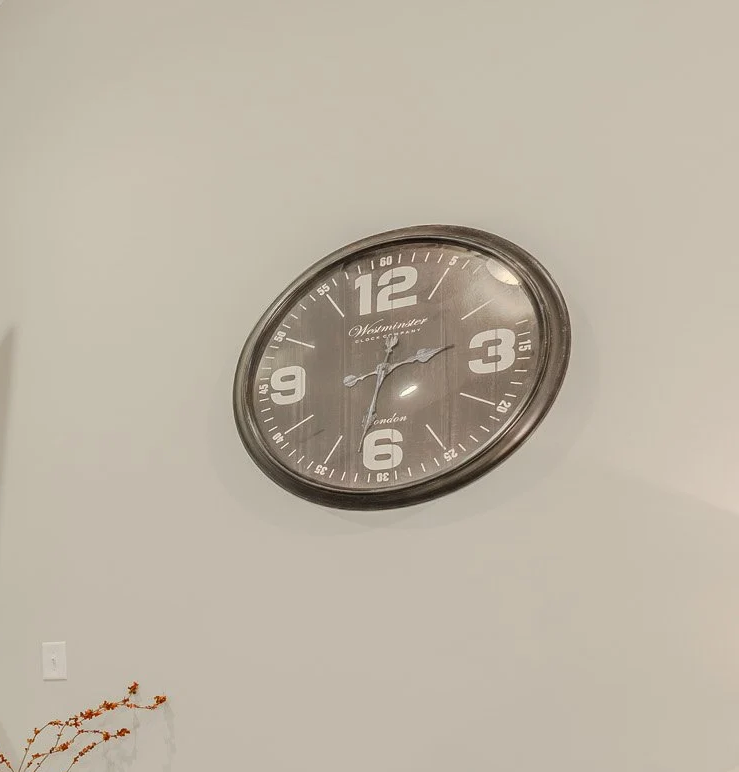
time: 2:32
